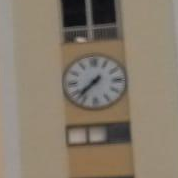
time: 7:37
